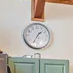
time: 1:35
